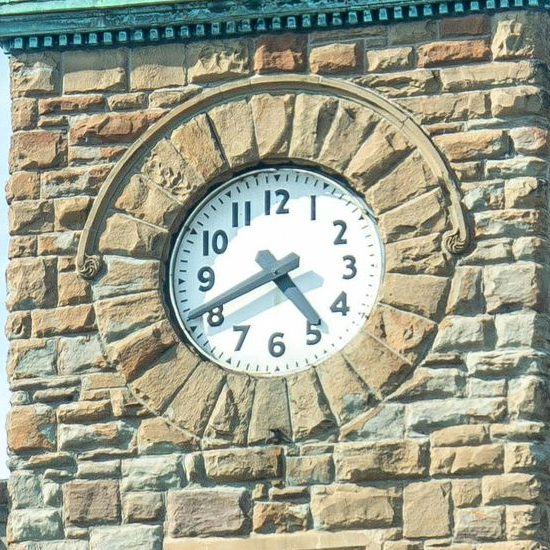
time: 4:40
